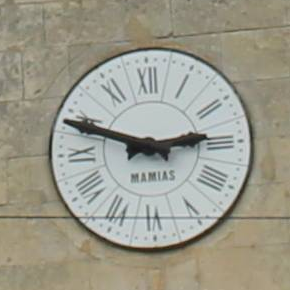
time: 2:48
